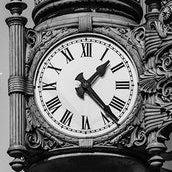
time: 1:23
